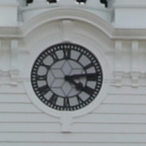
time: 4:13
